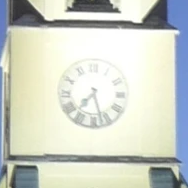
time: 7:27
